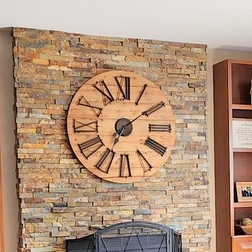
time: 7:09
